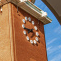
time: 7:43
